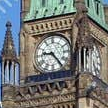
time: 9:23
